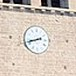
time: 2:42
